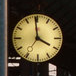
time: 3:58
